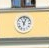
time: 11:03
